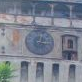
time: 12:16
